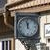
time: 11:57
